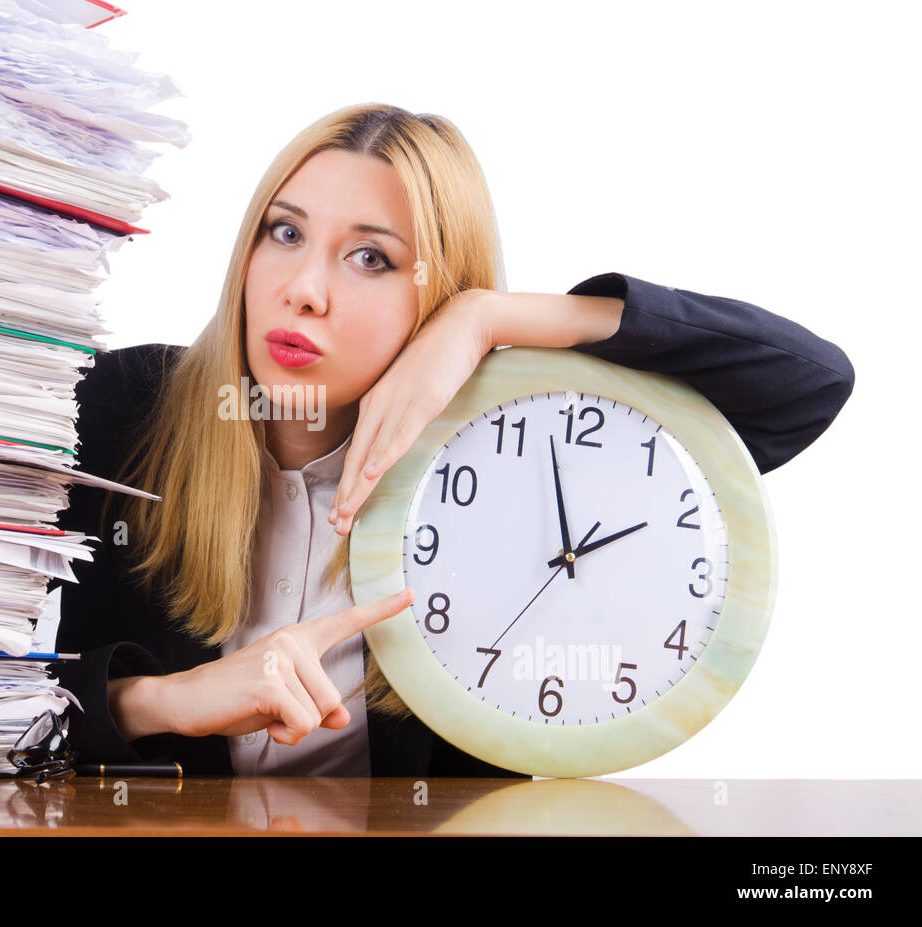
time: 1:57
